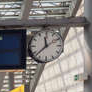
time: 11:37
